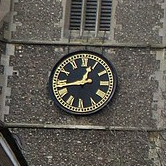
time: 12:43
